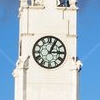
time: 3:04
